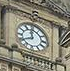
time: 11:40
